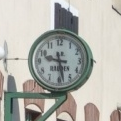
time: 9:28
